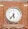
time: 5:36
